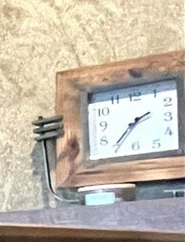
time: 1:36
